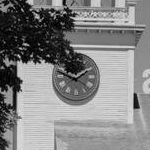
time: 1:47
